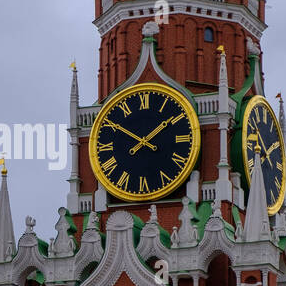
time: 1:50
